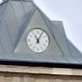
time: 11:04
